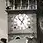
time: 12:53
